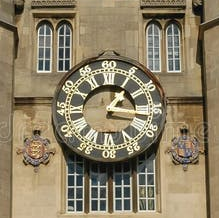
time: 1:16
